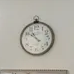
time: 10:50
